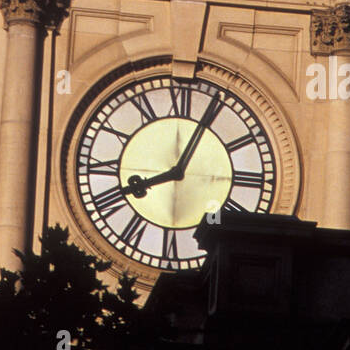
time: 8:04
